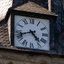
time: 4:42
